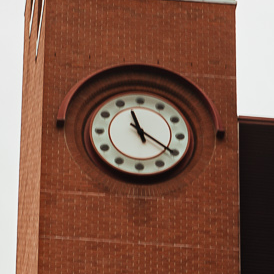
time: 11:20
